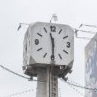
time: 11:29
